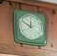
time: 11:50
